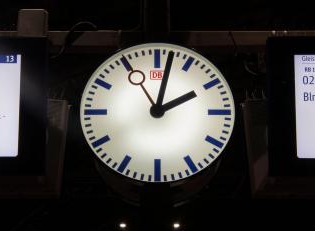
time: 2:02
